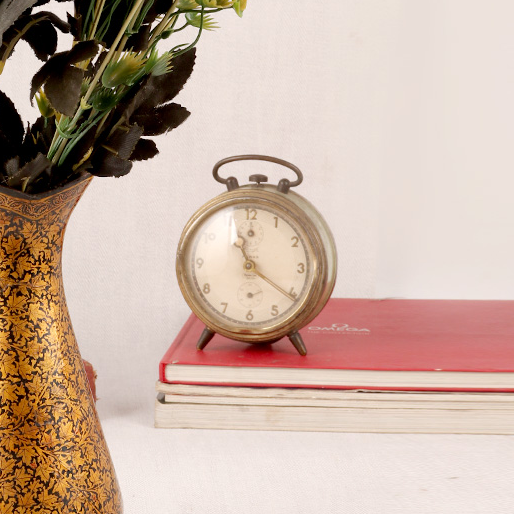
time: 11:21
